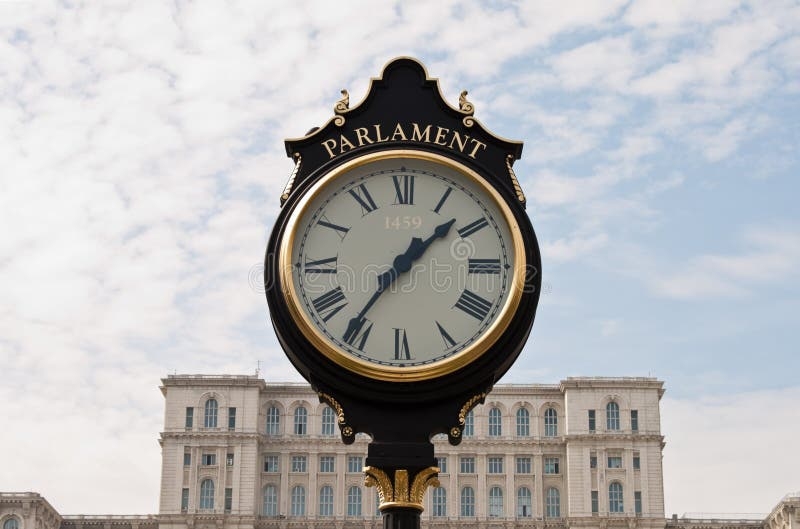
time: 1:36
